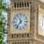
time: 11:36
